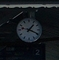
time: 1:18
